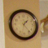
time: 1:23
